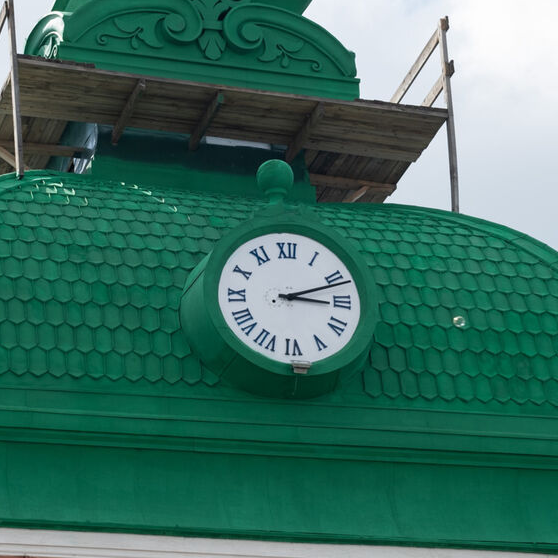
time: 3:11
